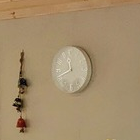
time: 11:41
